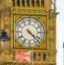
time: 4:22
